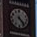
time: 4:23
